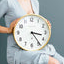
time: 3:23
